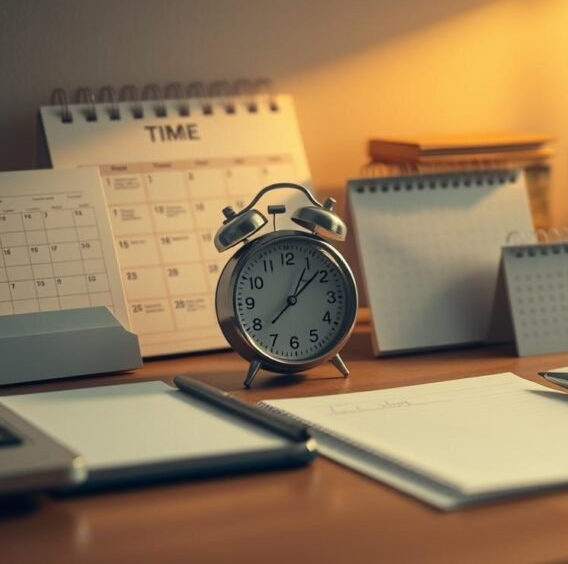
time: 1:08
